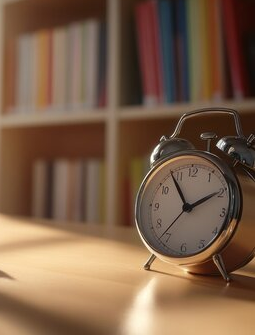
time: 1:54
